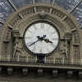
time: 3:39
